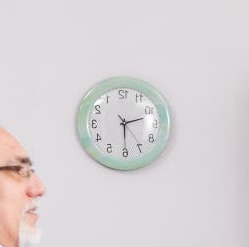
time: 2:29
